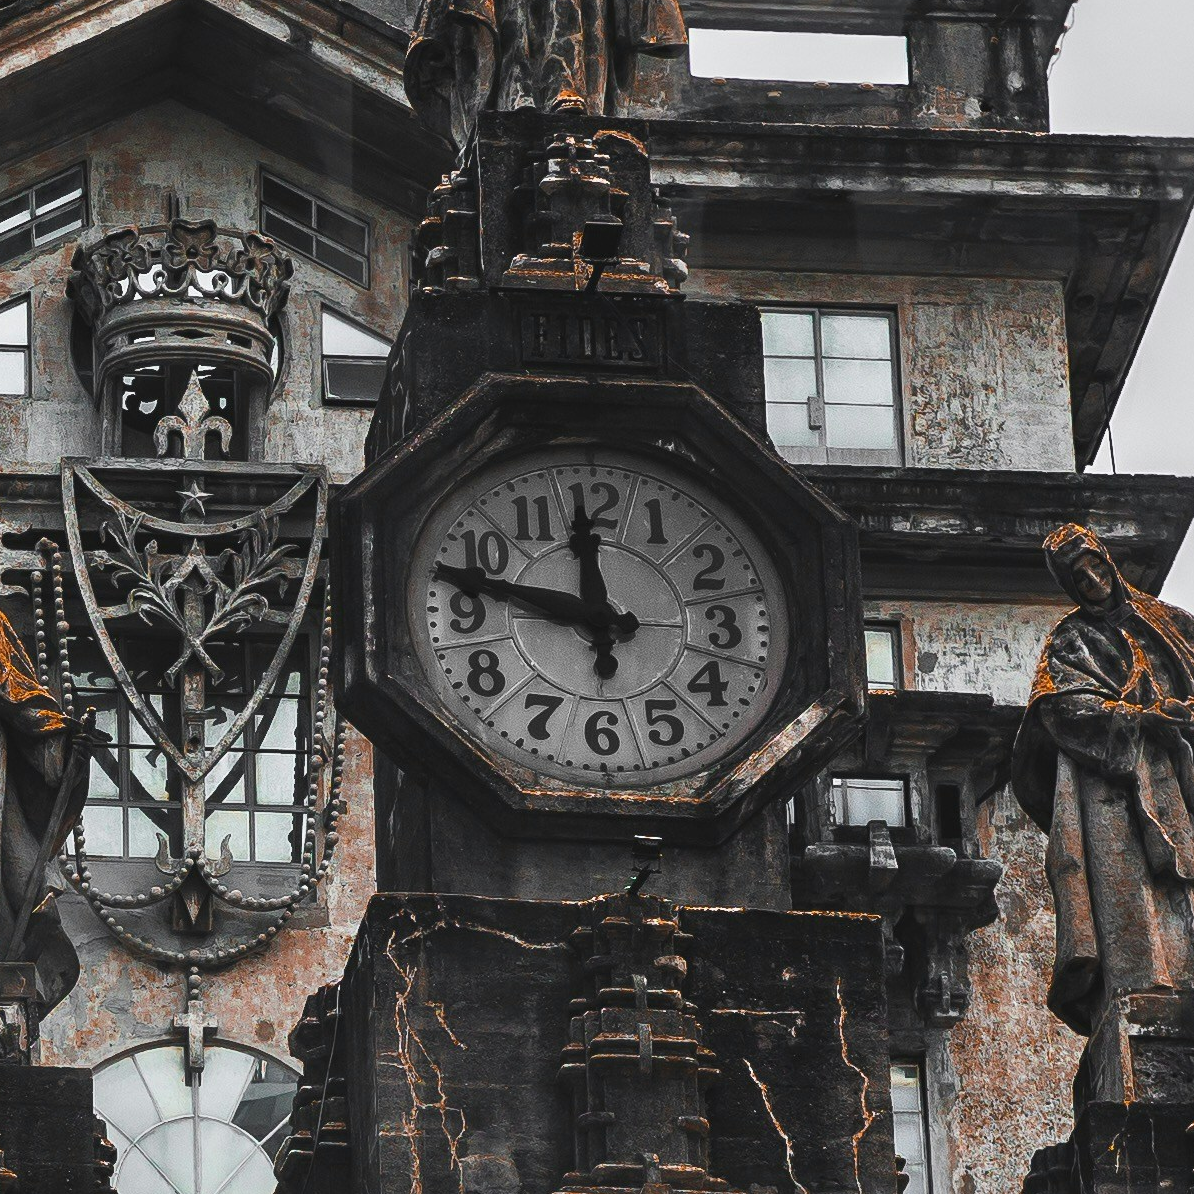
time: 11:47
